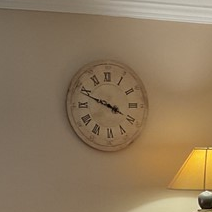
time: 3:48
